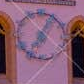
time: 7:04
